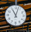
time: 11:02
